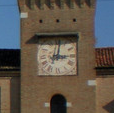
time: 3:01
